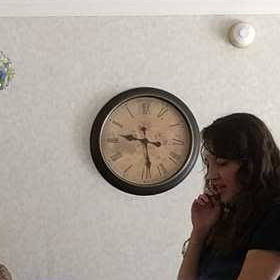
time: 9:28
